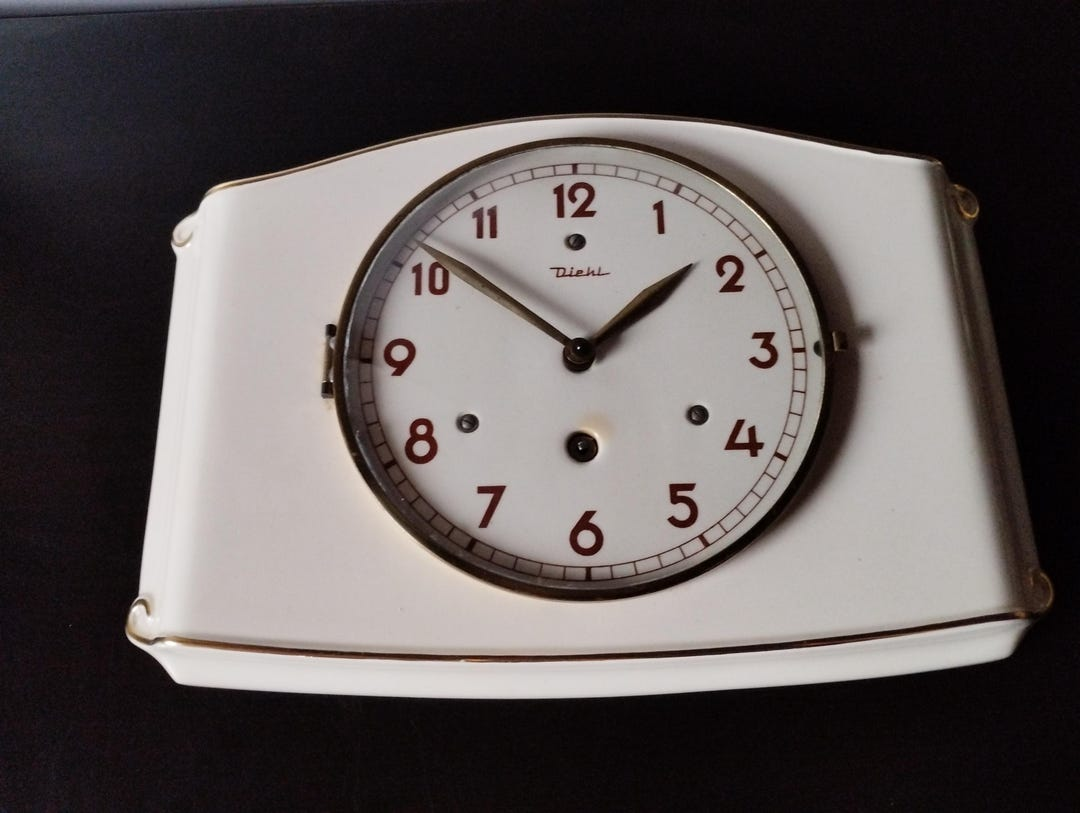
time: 1:51
